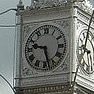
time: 9:27
